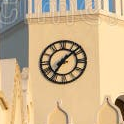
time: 7:08
